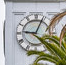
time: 9:04
